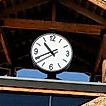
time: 10:40
